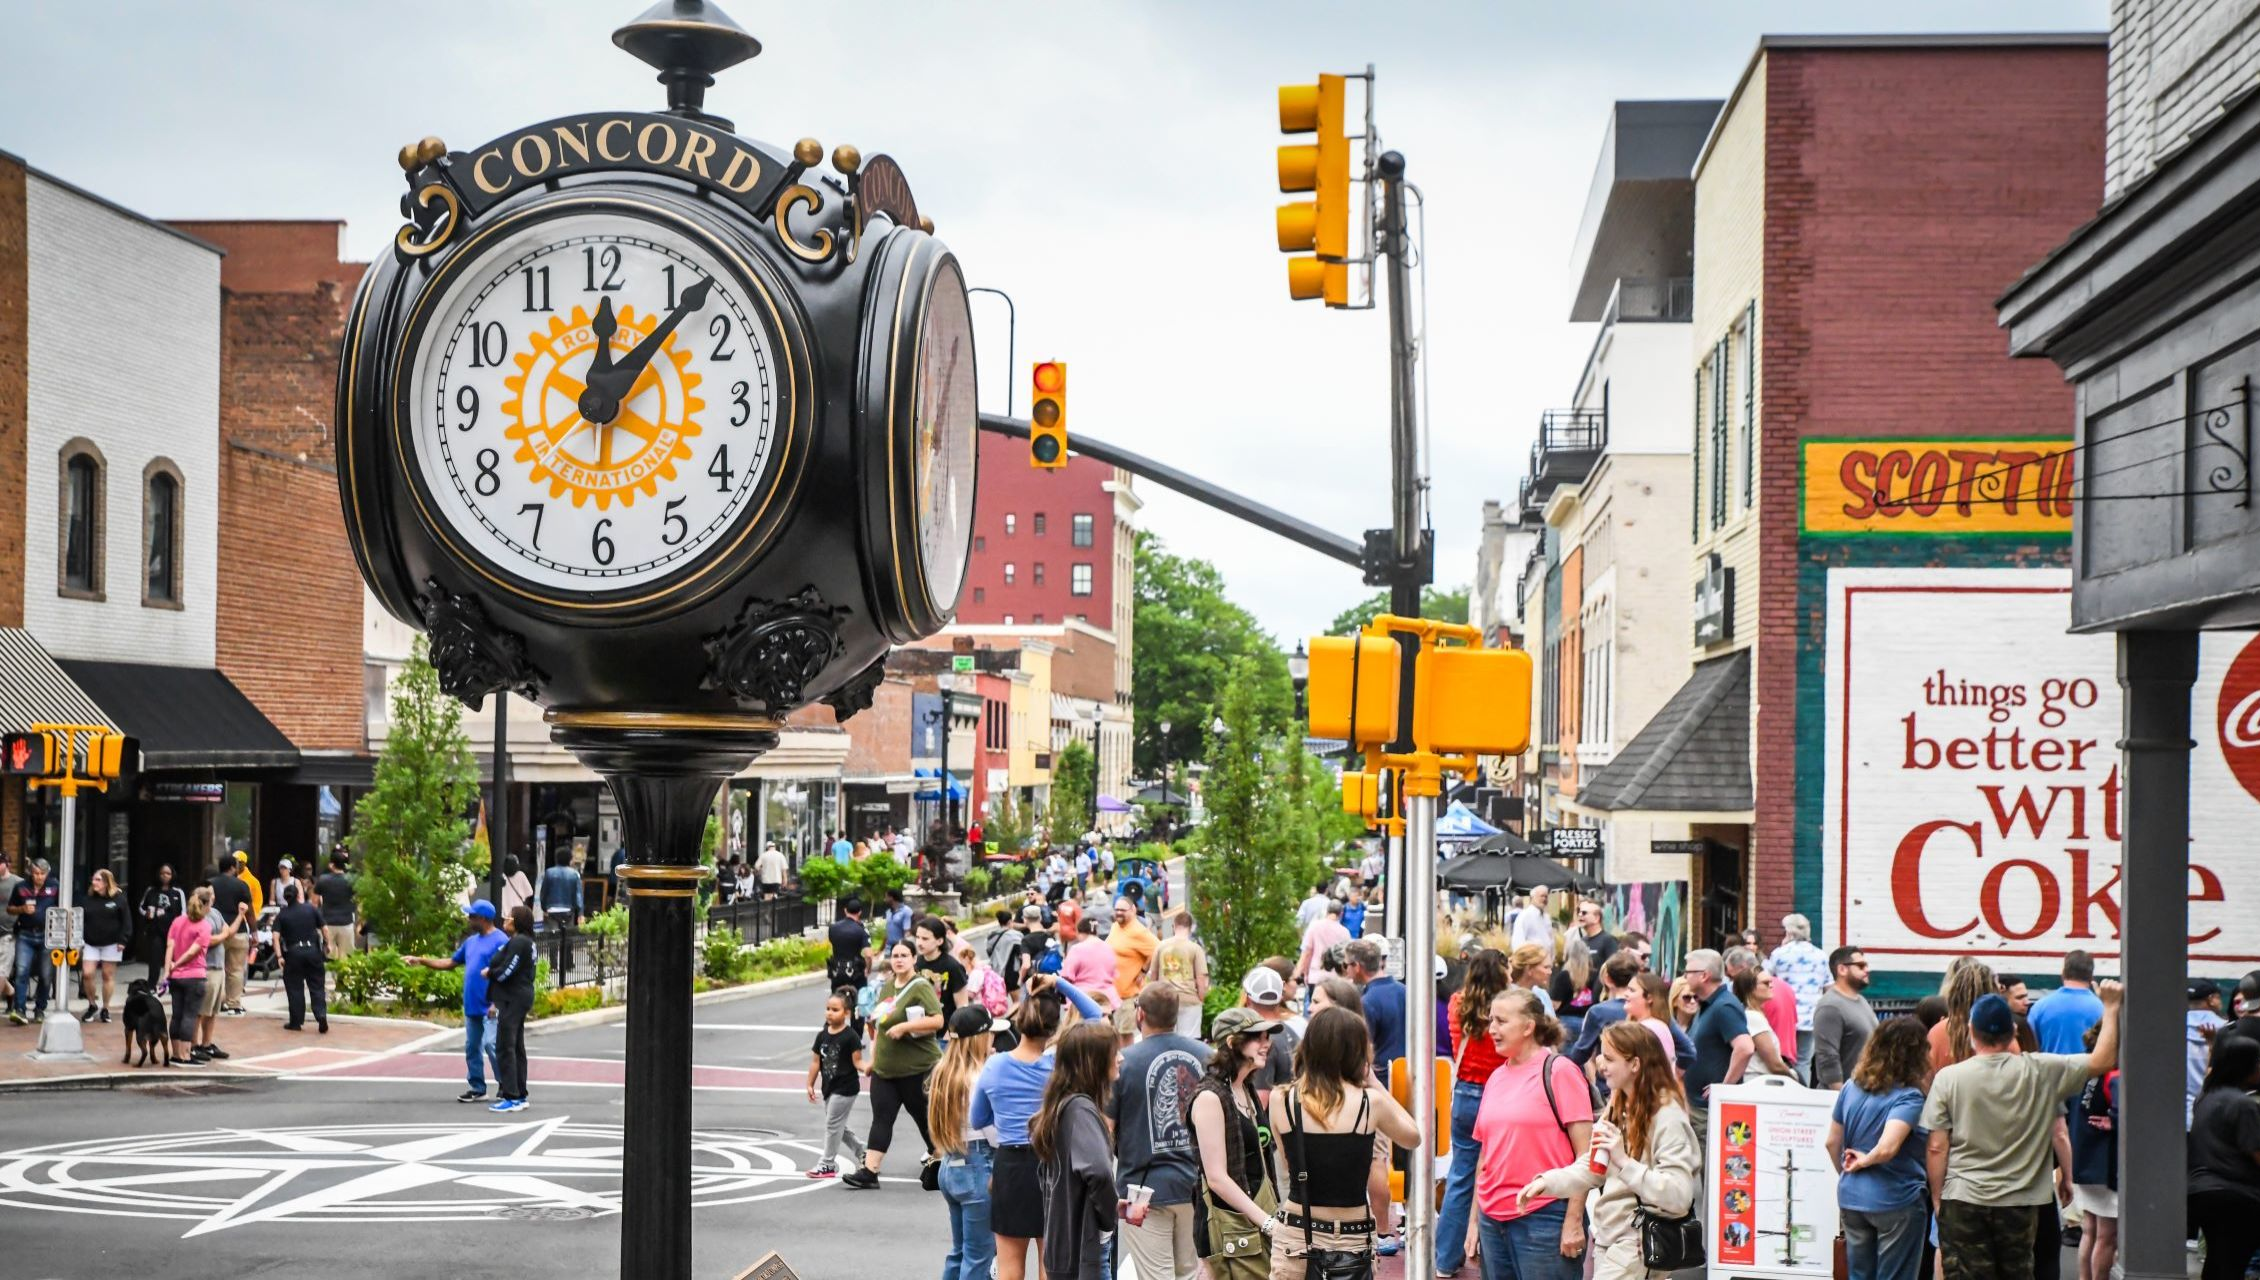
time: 12:07
